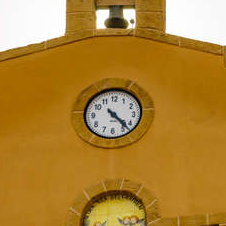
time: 4:22
